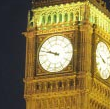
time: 9:47
